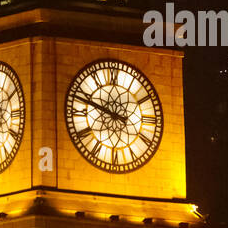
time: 9:48
